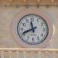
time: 11:41
